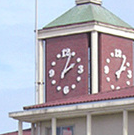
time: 2:04
